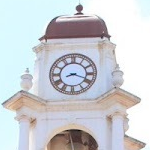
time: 8:18
